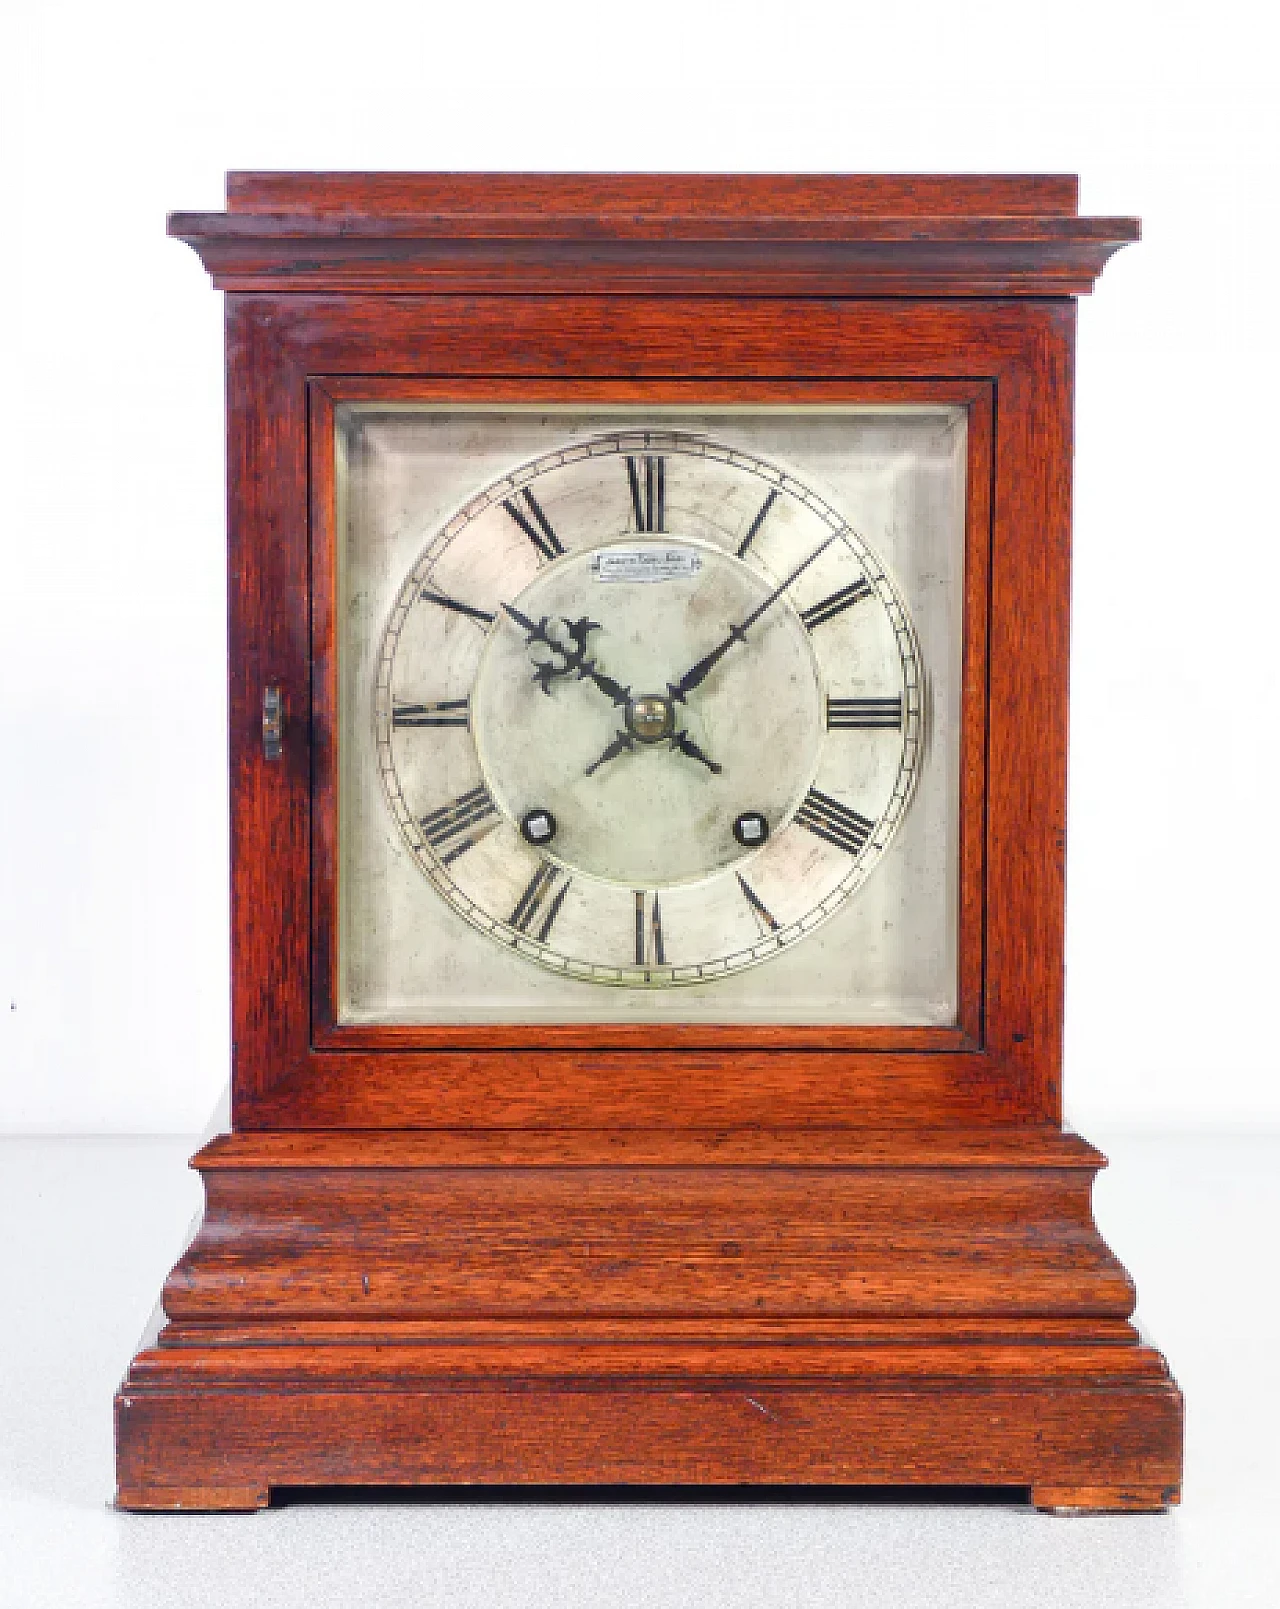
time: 10:07
